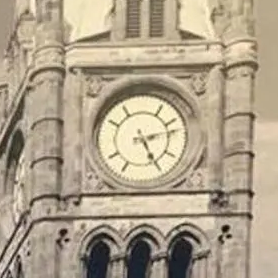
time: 5:12
